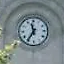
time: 11:35
